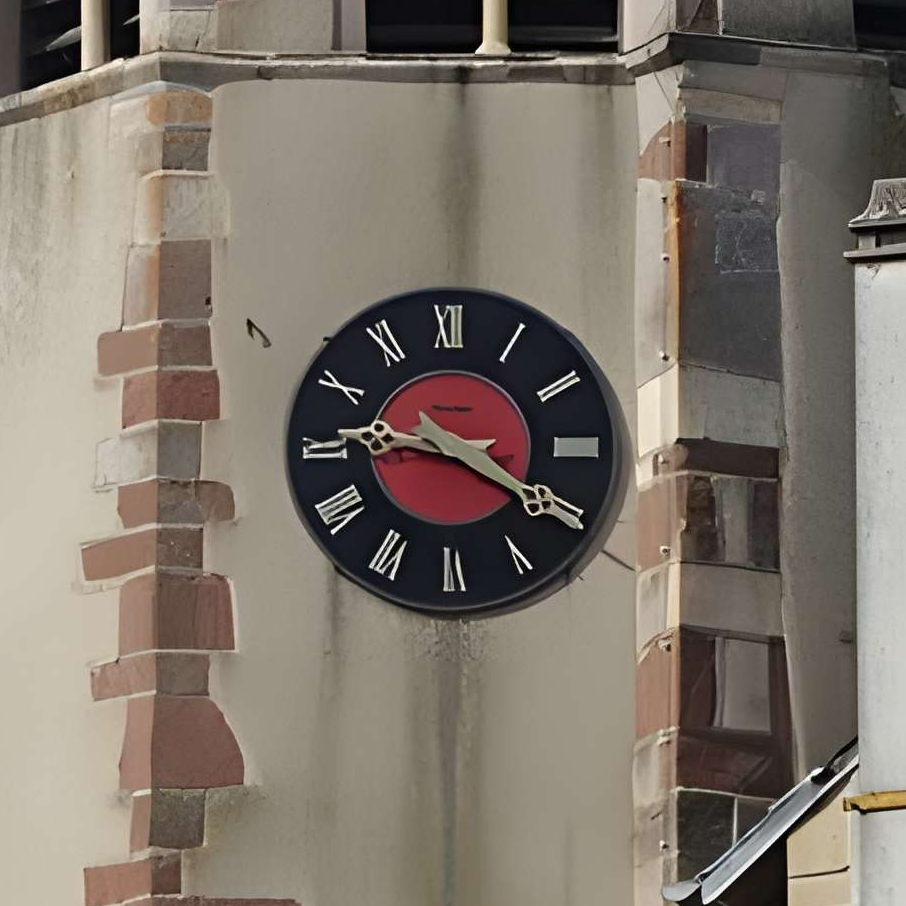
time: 9:20
